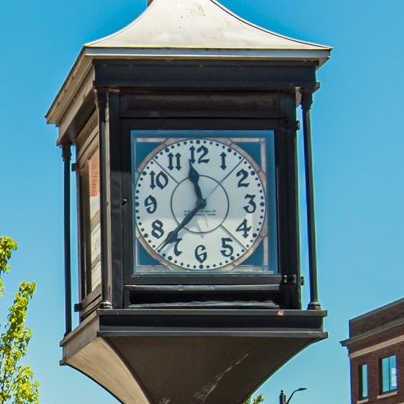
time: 11:36
